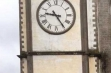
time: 9:24
